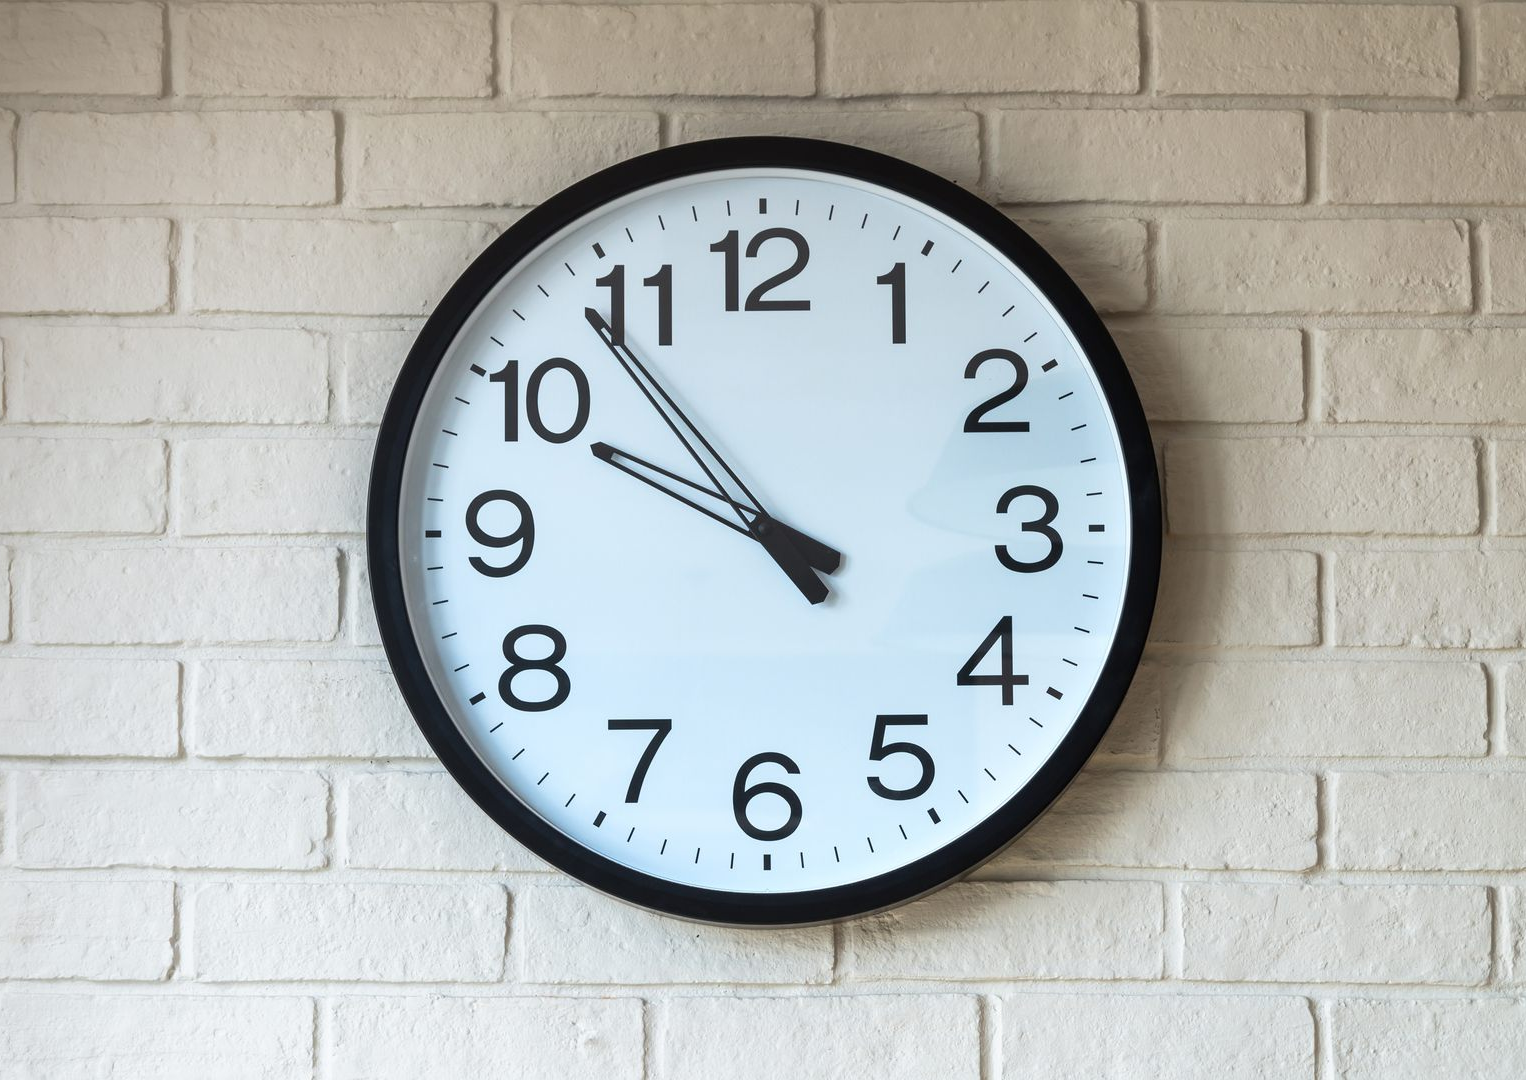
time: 9:53
